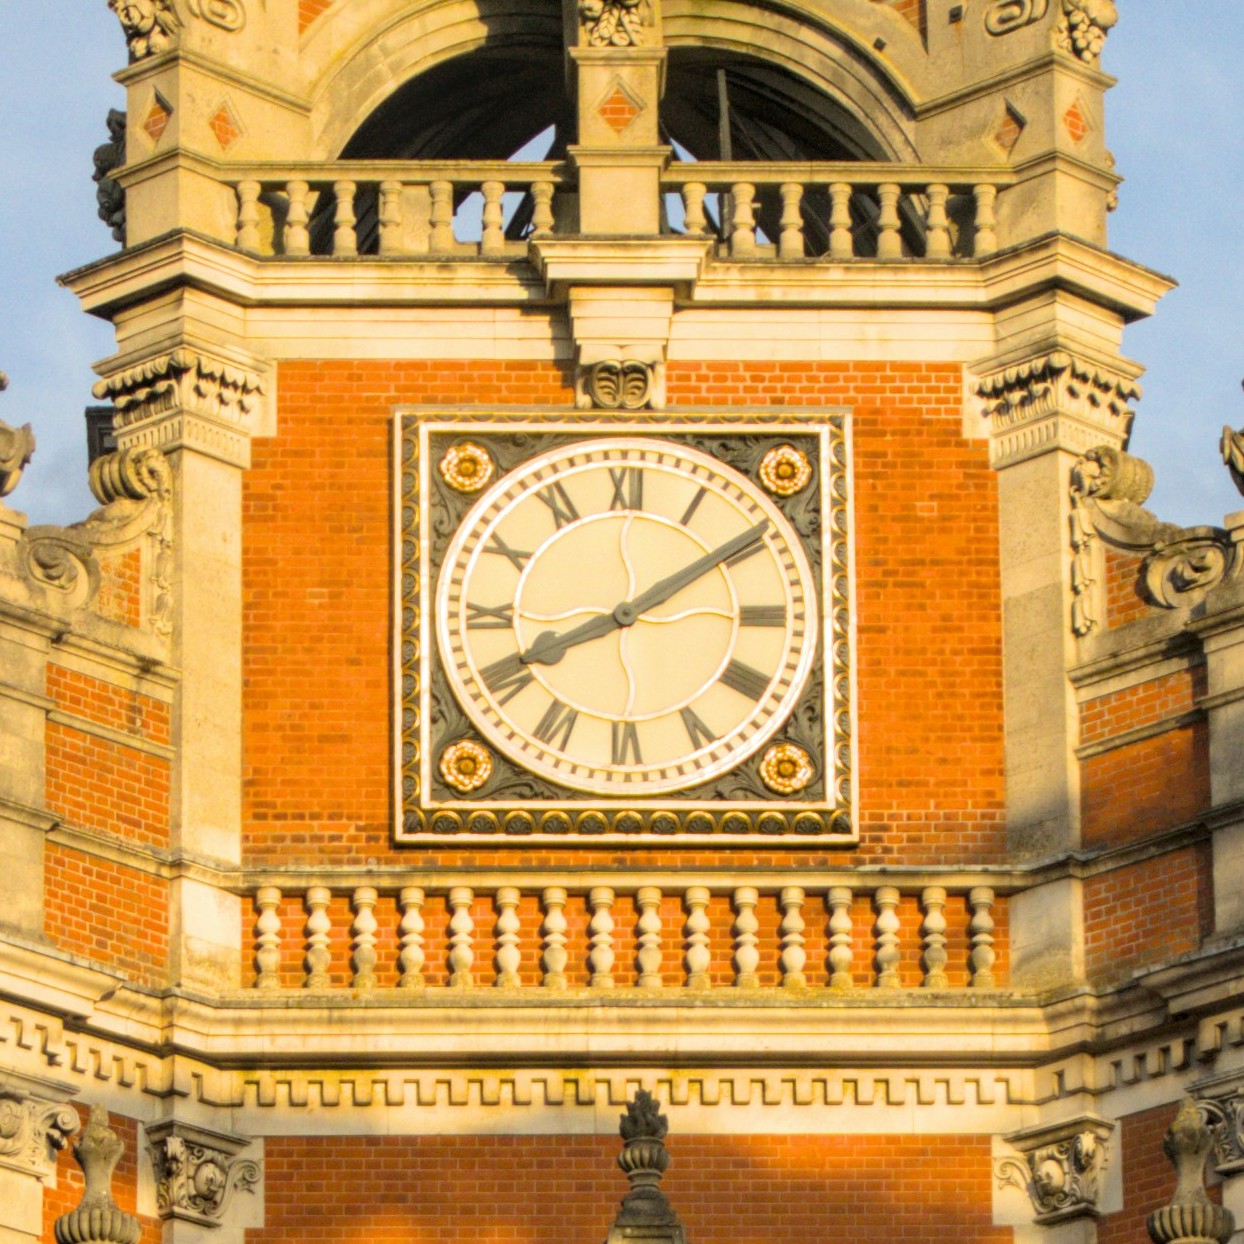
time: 8:09
